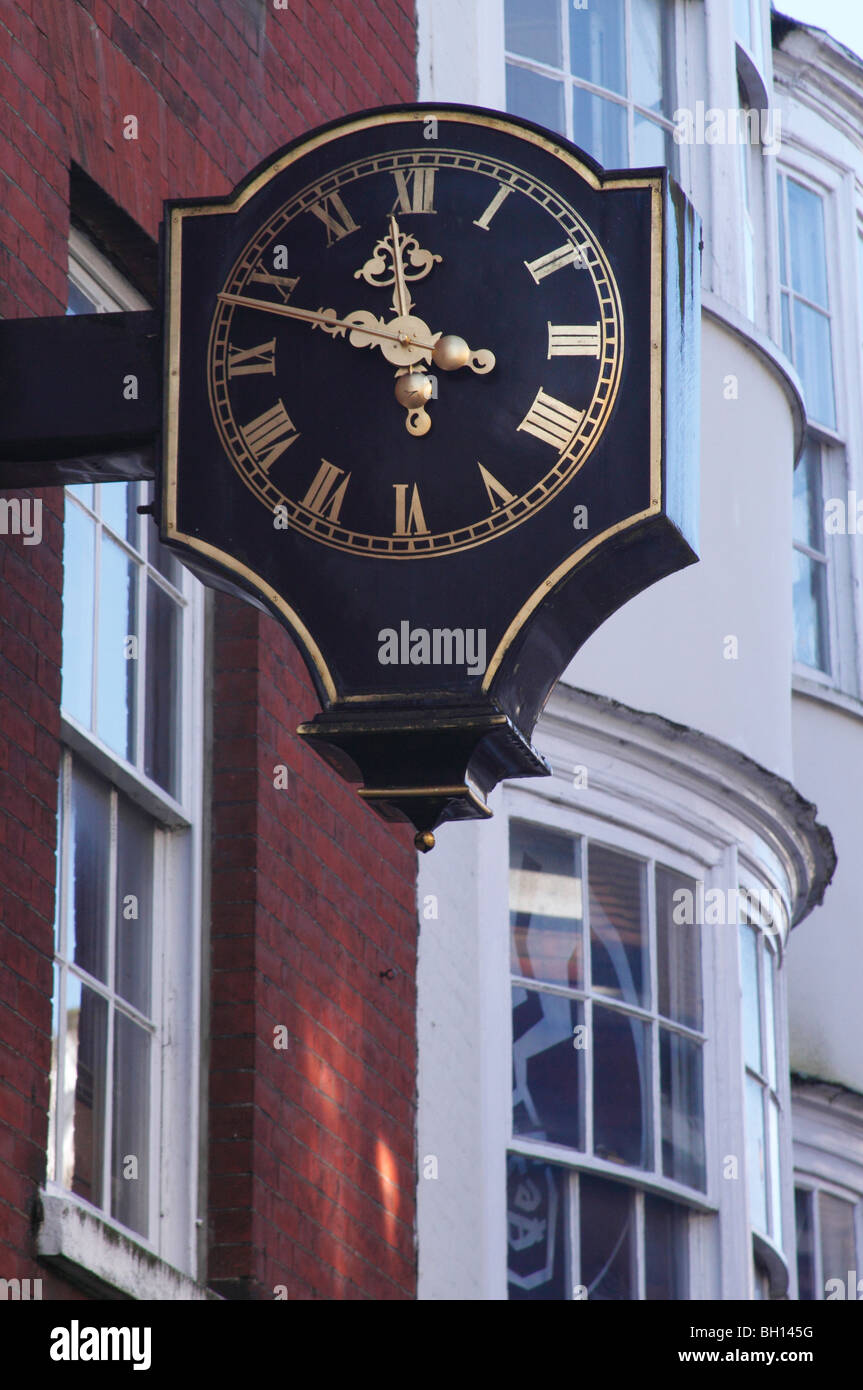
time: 11:47
